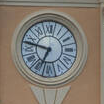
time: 6:47
